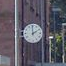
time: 1:59
